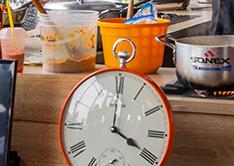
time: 4:00
